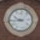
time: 9:43
